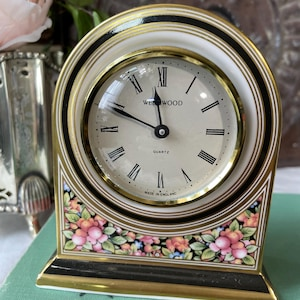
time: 11:48
